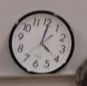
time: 4:00
